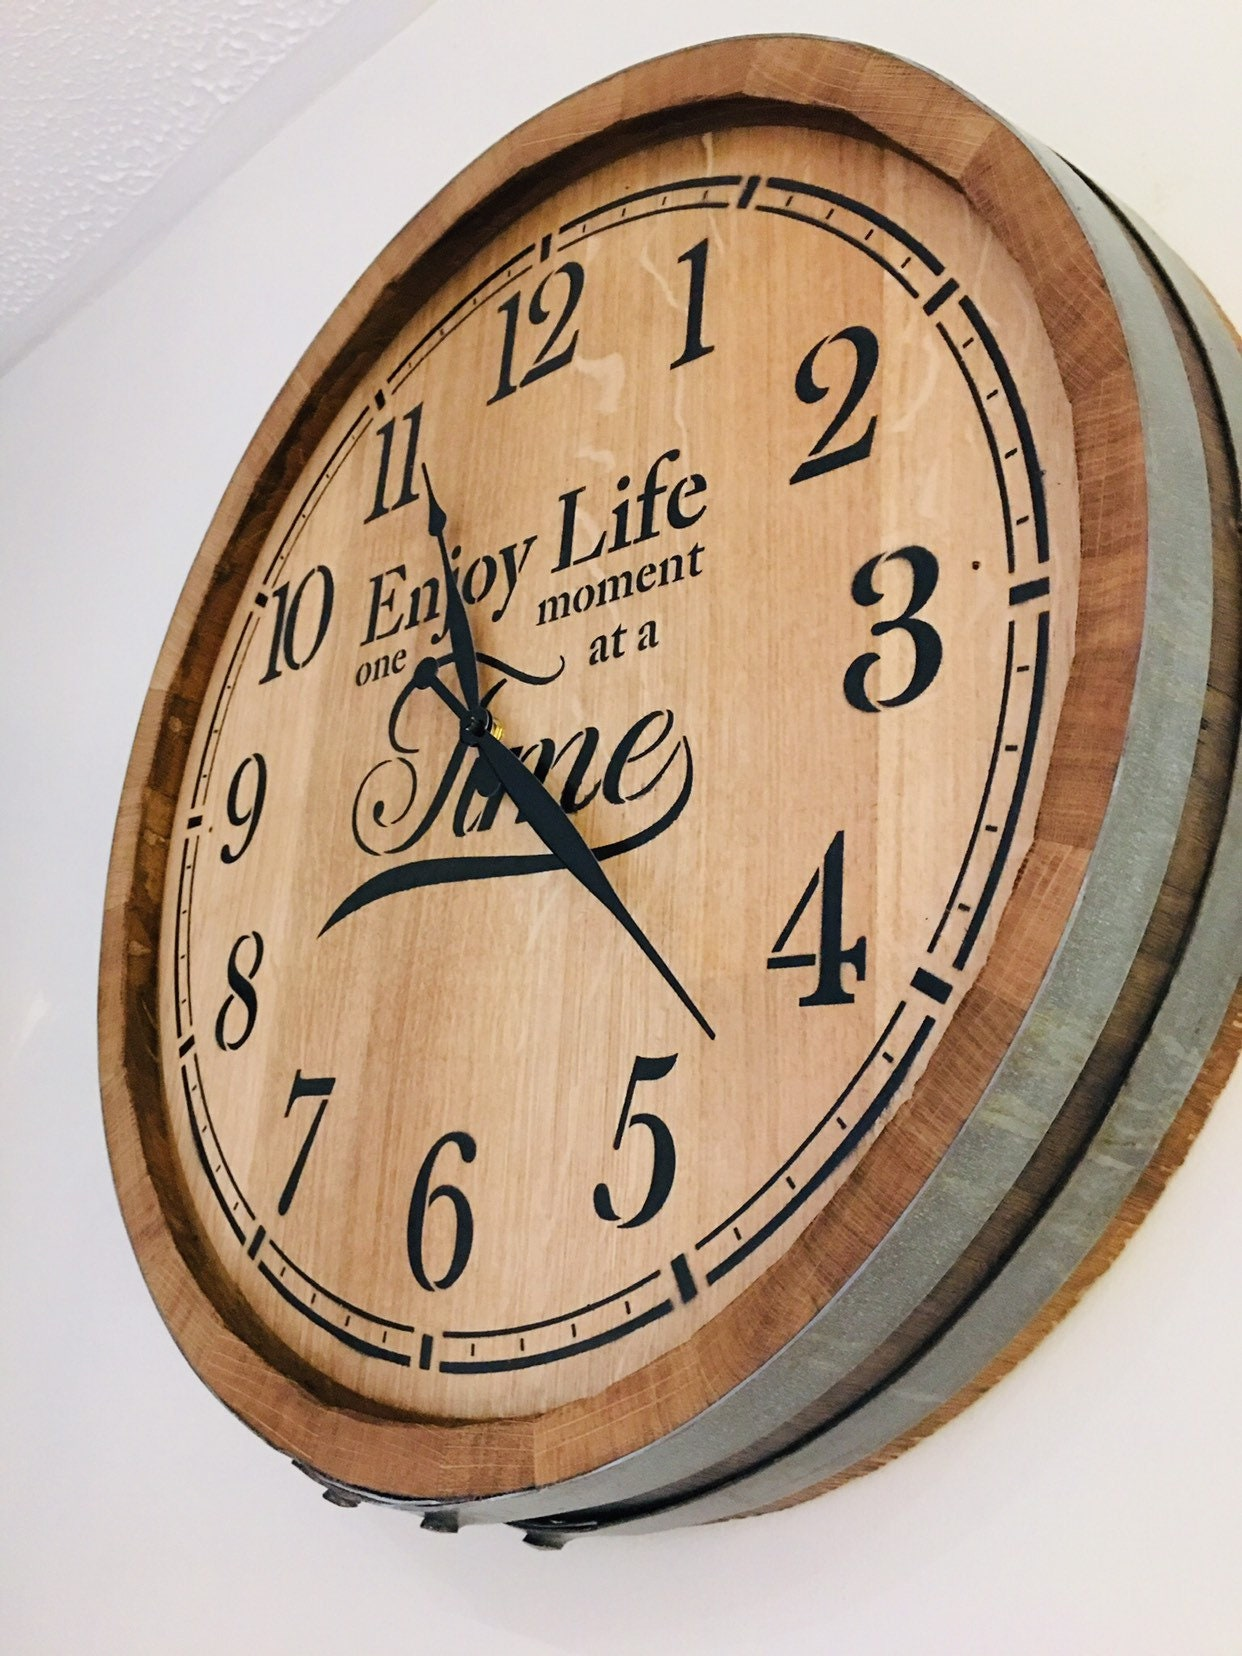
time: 7:55
